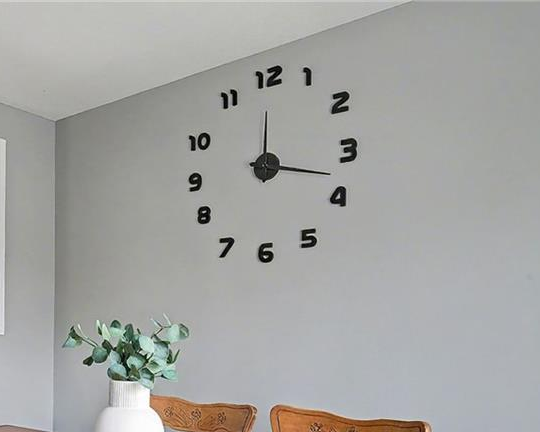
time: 12:17
